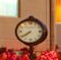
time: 7:39
